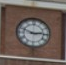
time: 2:48
